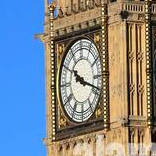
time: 10:18
